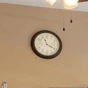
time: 11:19
